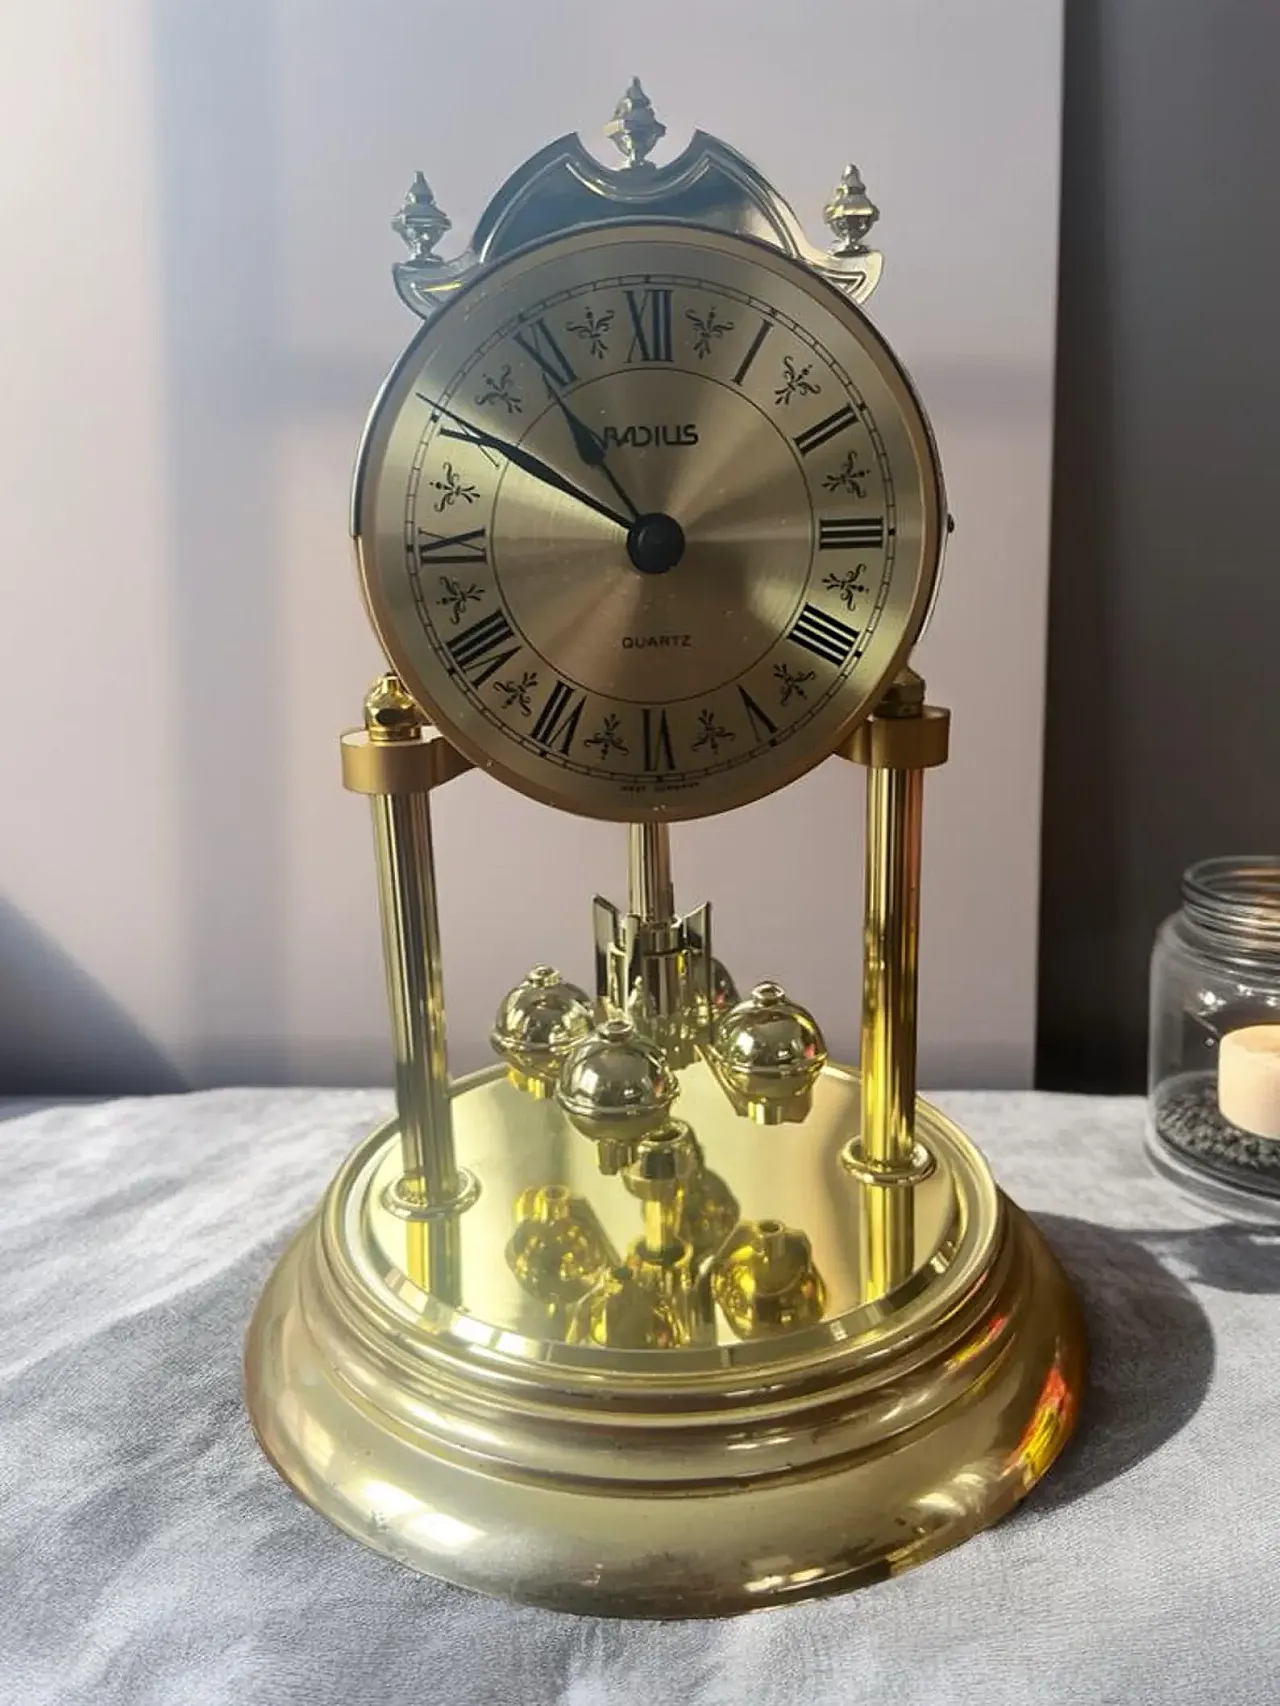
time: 10:50
